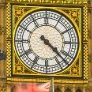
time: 4:22
